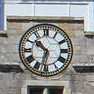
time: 10:32
